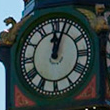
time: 12:03
